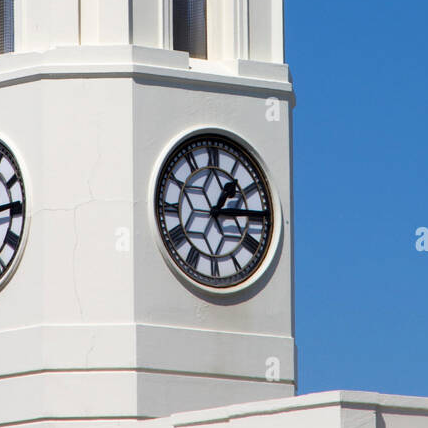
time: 1:14
